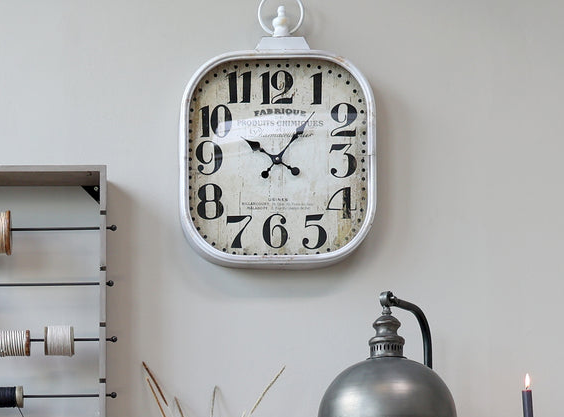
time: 10:06
